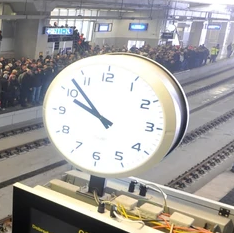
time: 9:52
